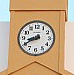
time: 8:40
